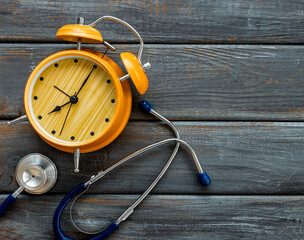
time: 8:04
